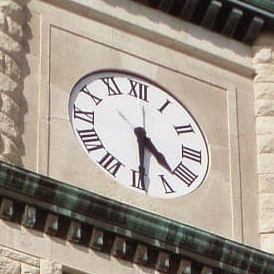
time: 4:29
